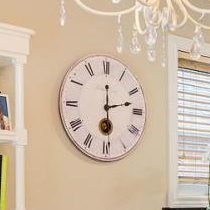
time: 12:12
